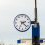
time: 2:22
